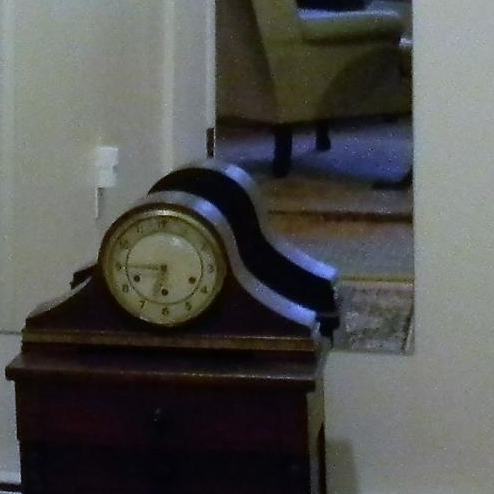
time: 6:44
